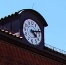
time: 4:12
